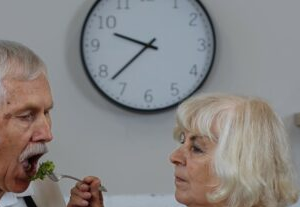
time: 9:37
